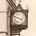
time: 3:48
